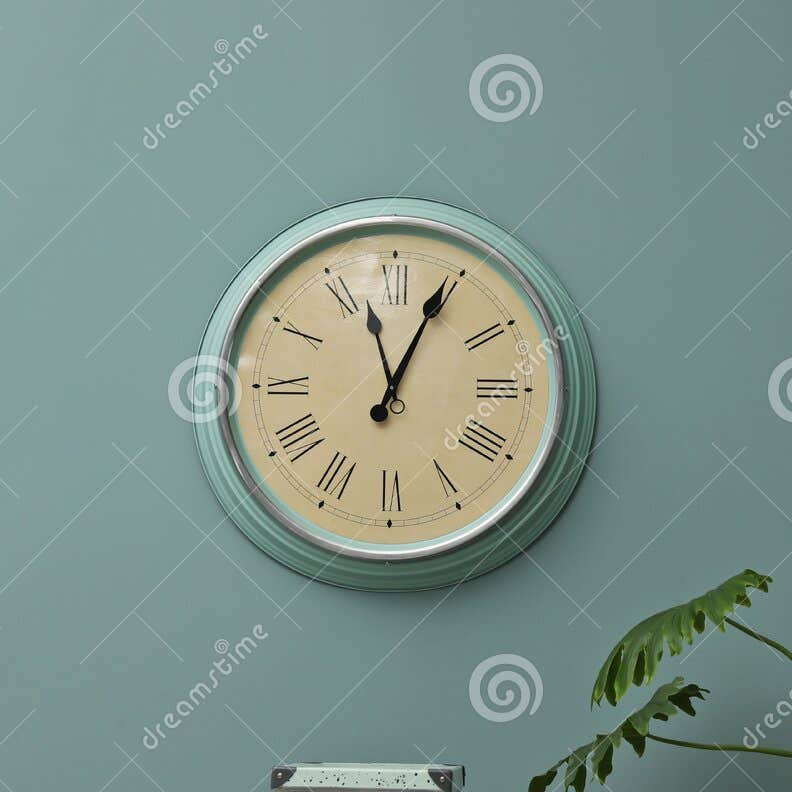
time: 11:04
